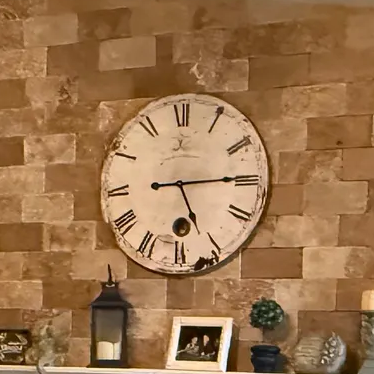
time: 5:14
